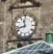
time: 11:42
